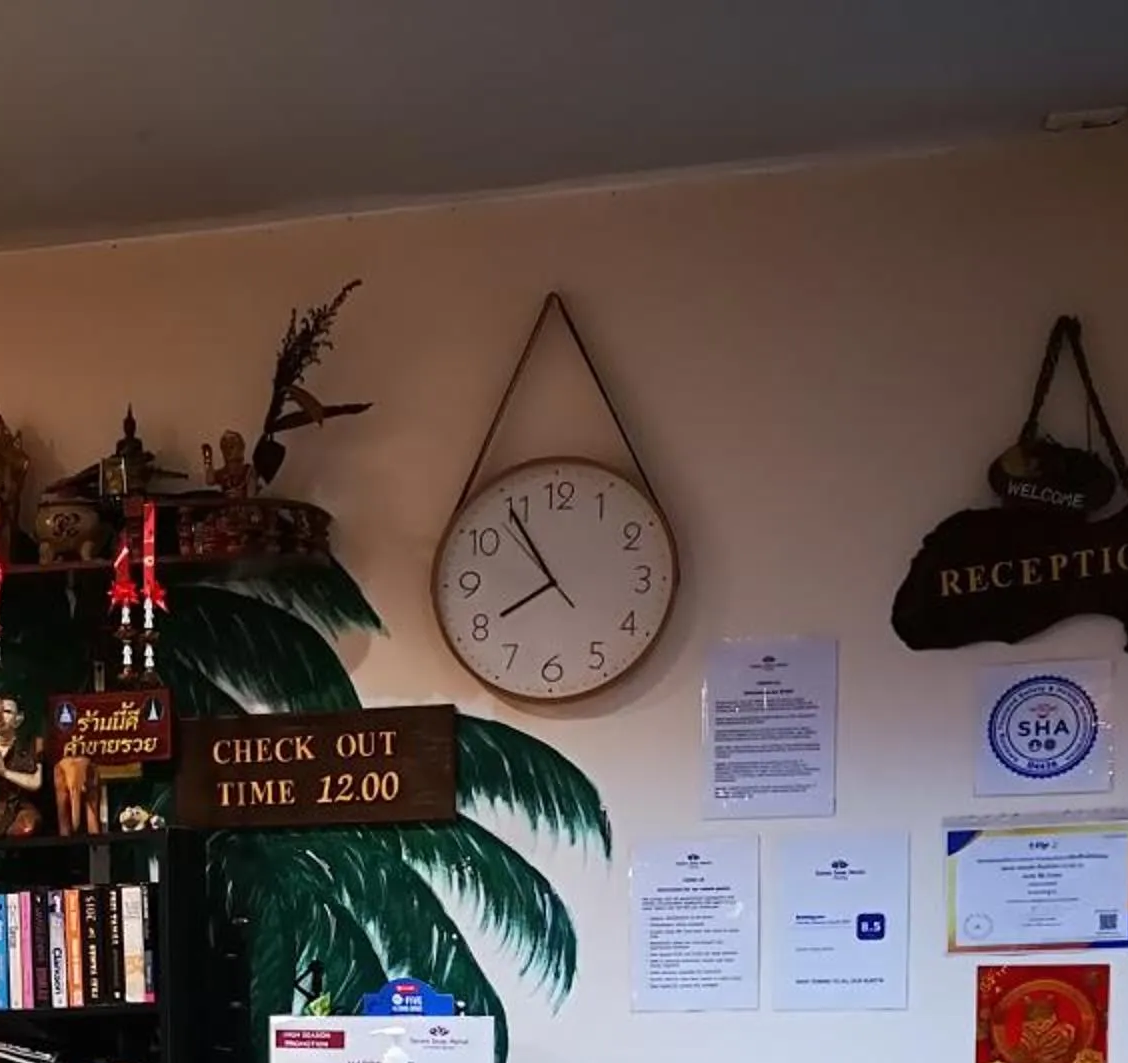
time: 7:54
